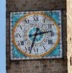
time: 2:33
